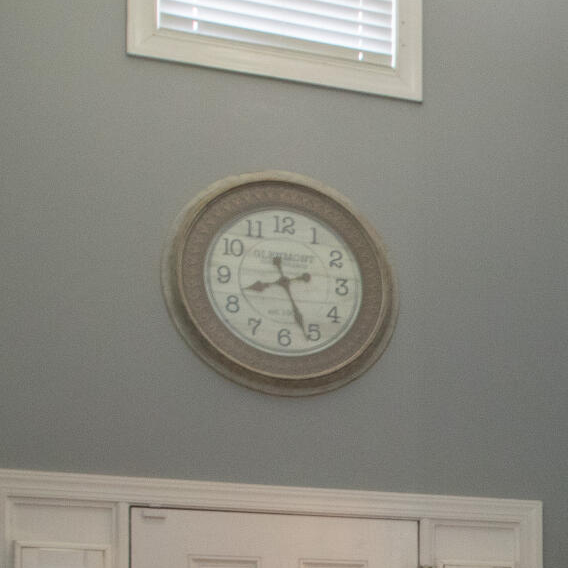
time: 8:26
